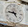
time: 4:46
